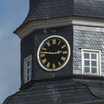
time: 2:46
